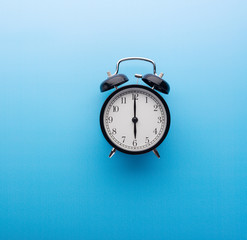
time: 6:00
